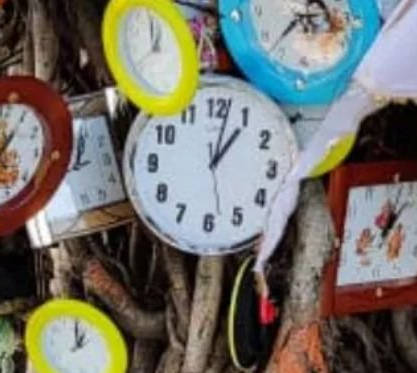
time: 1:01
